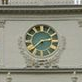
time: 2:38
